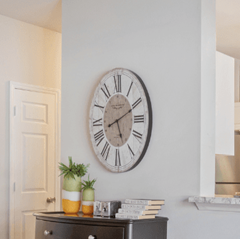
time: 5:10
